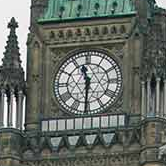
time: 11:30
